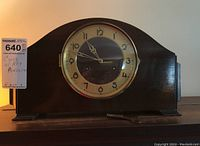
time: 10:48
